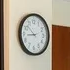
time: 8:52
